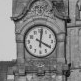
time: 4:01
